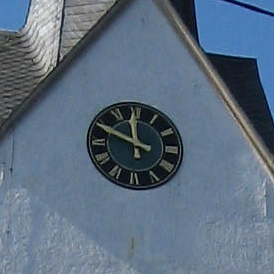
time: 11:48
